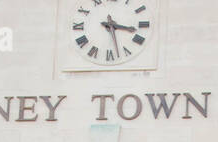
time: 3:27
